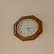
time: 5:16
